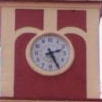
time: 2:25
